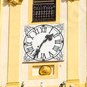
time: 1:34
